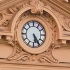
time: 5:24
